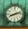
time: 8:12
